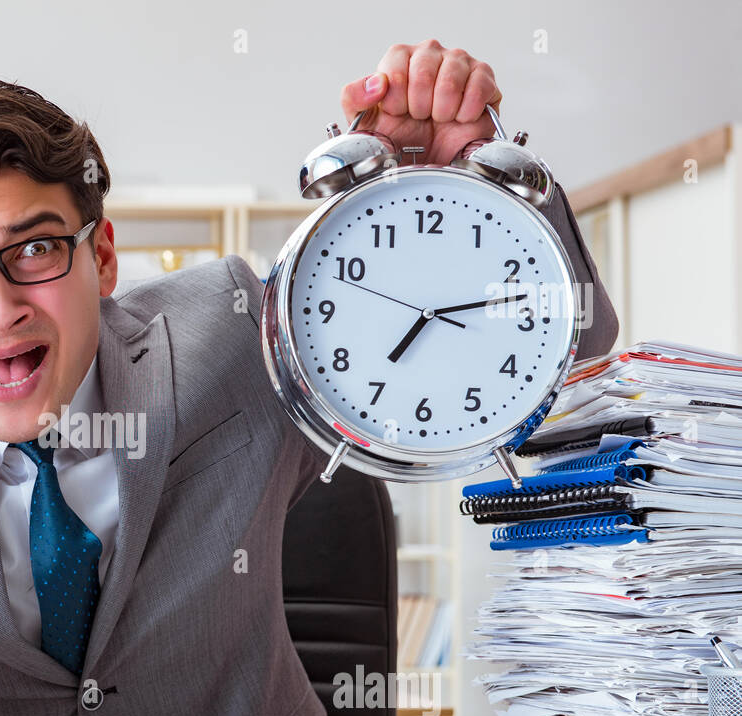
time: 7:12
